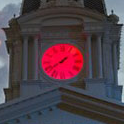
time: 1:39
